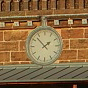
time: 1:52
